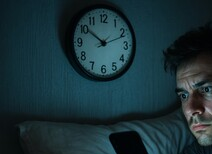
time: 10:11
